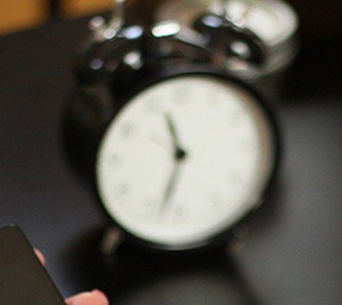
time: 11:32
